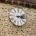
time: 3:12
